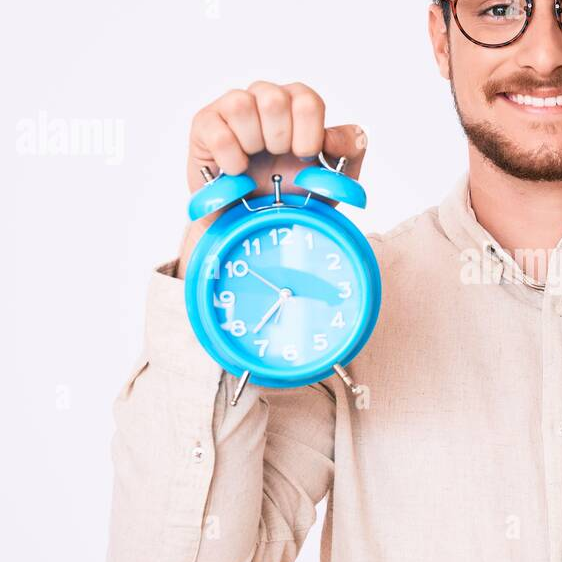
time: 3:37
